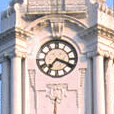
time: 7:18
